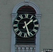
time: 1:26
